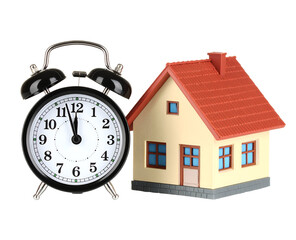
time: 11:57
